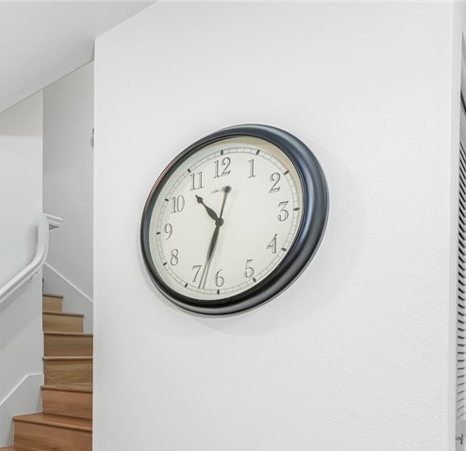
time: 10:32
